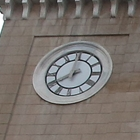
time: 8:01
